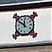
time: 11:50
